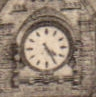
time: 4:25
